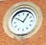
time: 10:05
